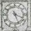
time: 5:18
